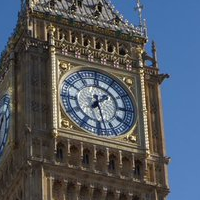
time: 1:28
